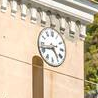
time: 4:42
